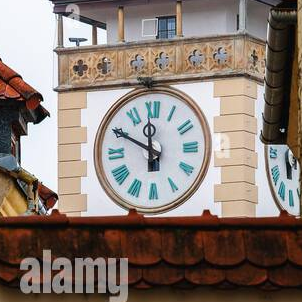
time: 11:49
